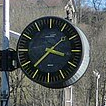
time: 3:37
